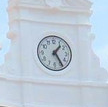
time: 1:24
